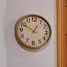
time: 12:49
